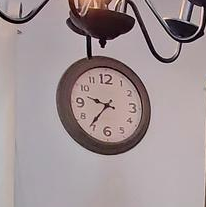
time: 9:36
